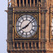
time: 8:07
